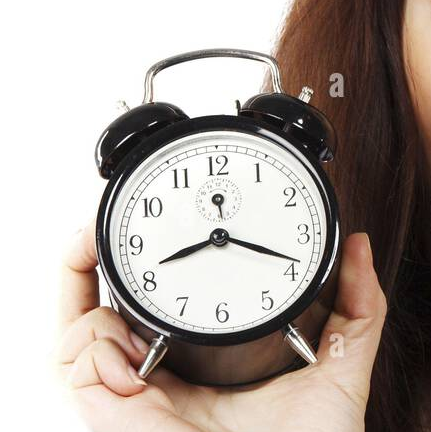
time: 8:18
